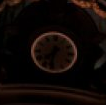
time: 7:32
